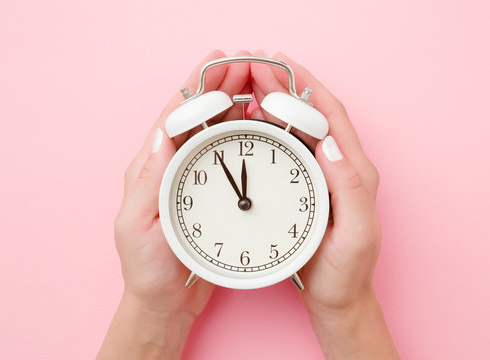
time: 11:55
